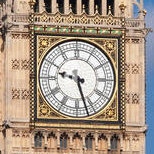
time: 9:27
